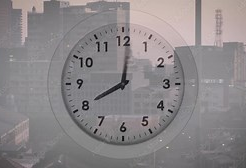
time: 8:00
